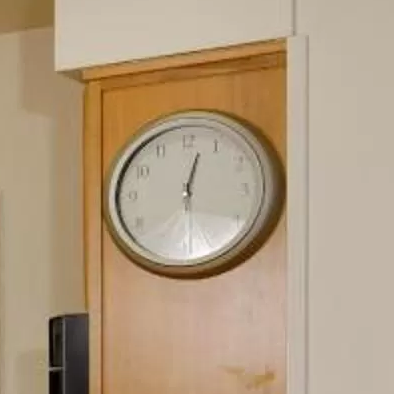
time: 12:28
